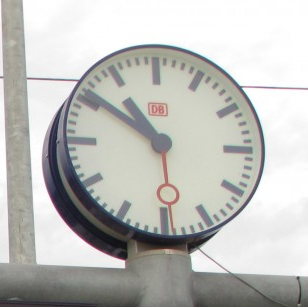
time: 10:50
